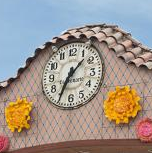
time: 1:34
